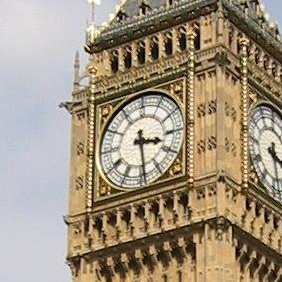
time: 3:29
